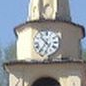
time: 4:35
